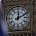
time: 12:10
